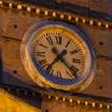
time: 7:22
